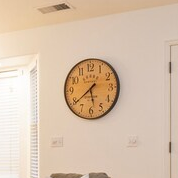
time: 5:39
